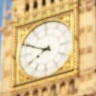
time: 7:49
